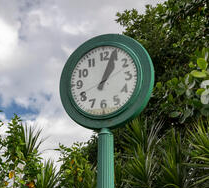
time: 1:03
